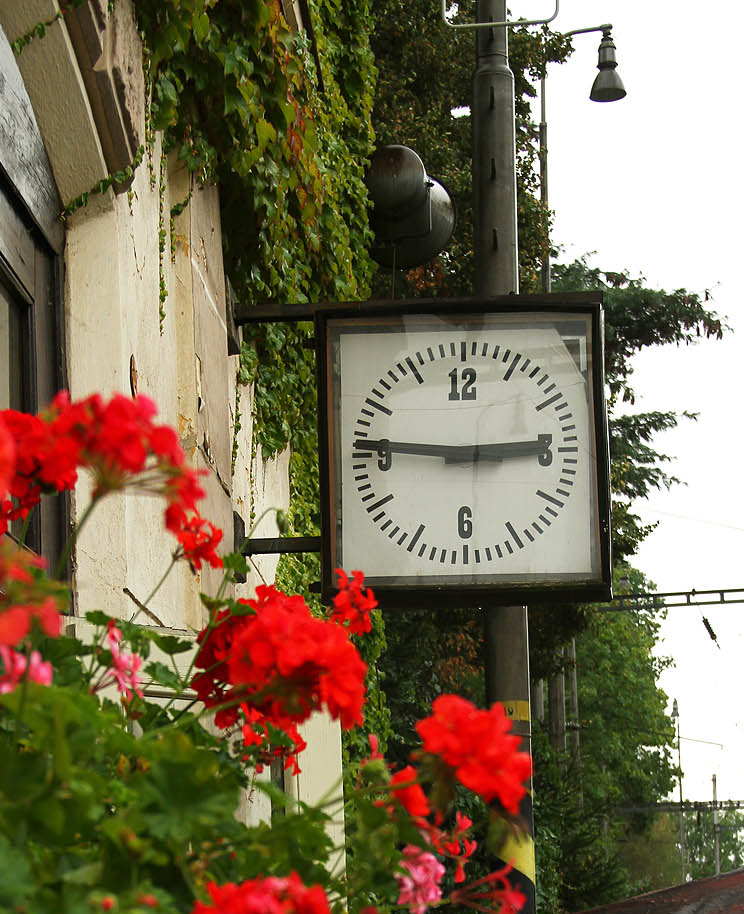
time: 2:46
